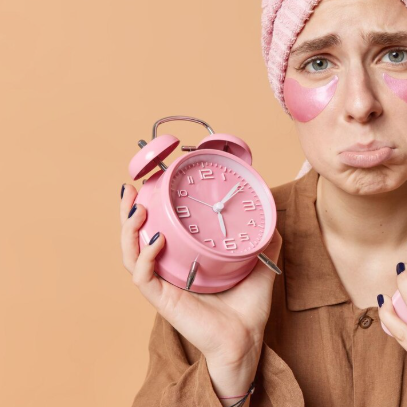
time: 6:09
